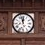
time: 11:57
